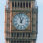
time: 12:57
